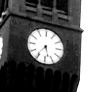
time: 5:36
